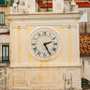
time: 2:25
